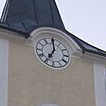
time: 7:00
